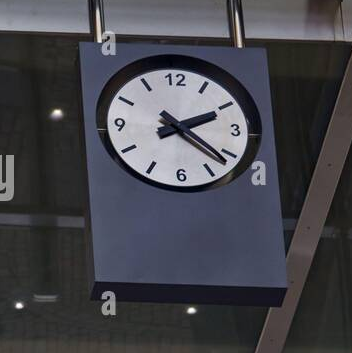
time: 2:21
